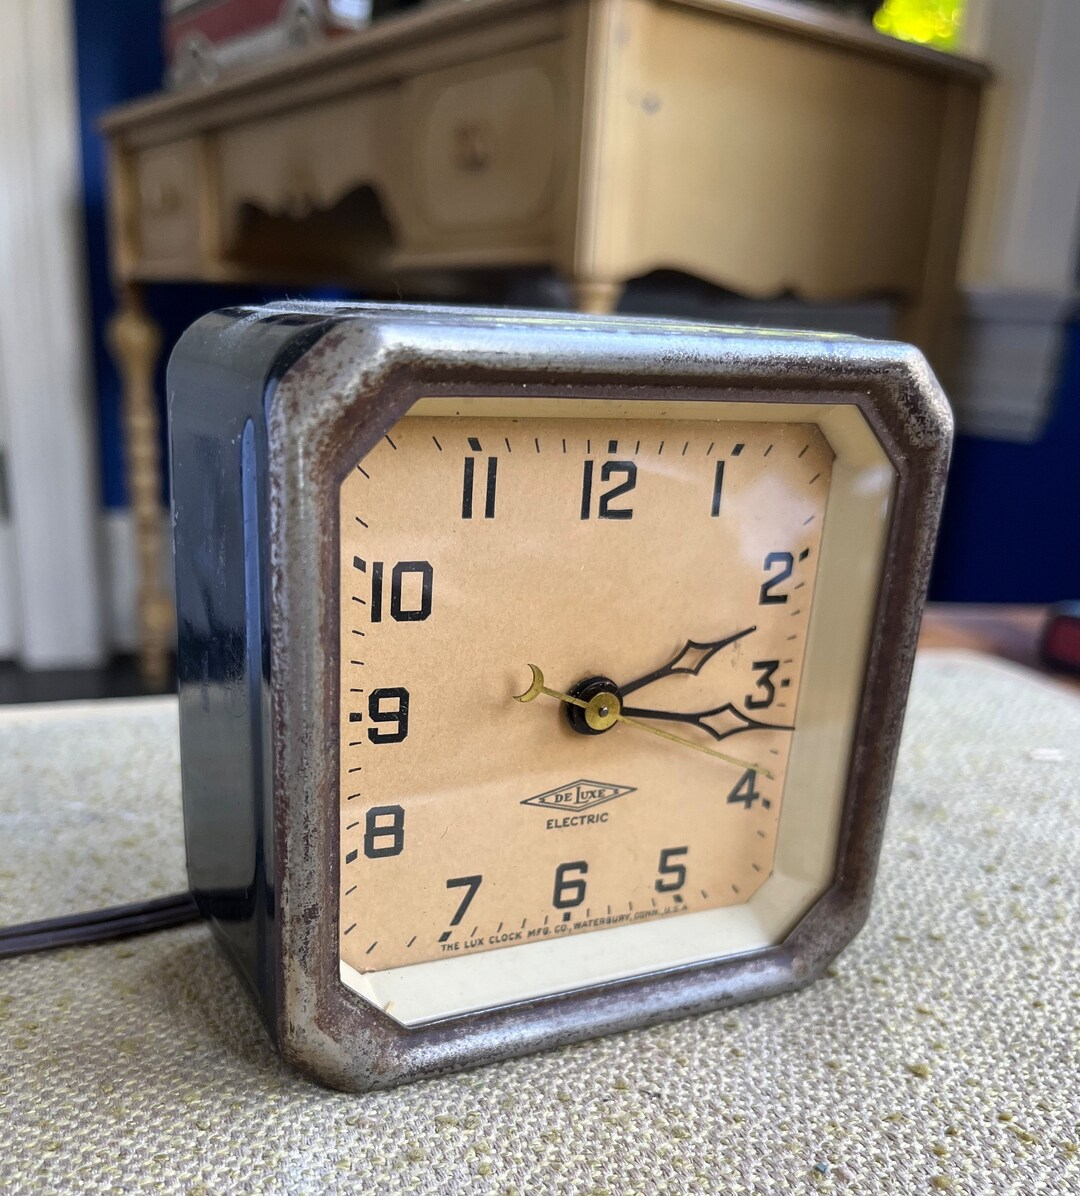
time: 2:16
